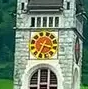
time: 3:34
